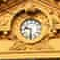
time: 9:31
